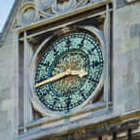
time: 3:43
